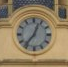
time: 12:36
